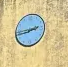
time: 2:43
